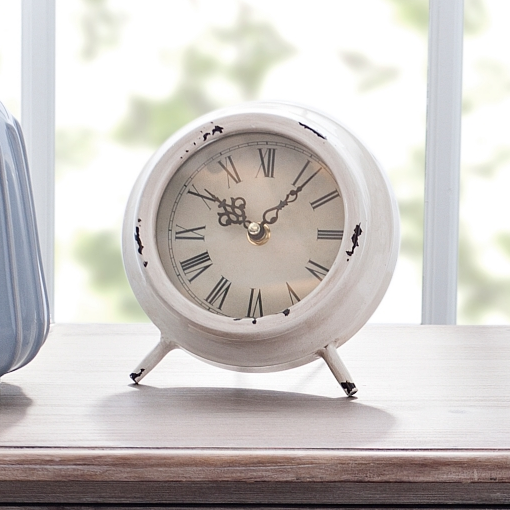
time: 10:06
